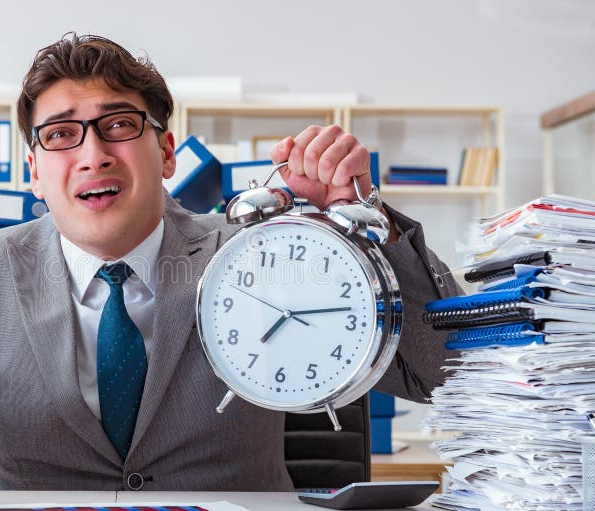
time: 7:13
